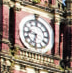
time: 9:32
